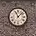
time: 11:07
